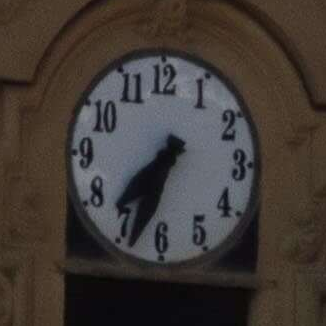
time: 7:33
